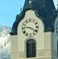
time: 9:20
